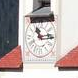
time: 11:13
